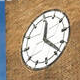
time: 12:23
